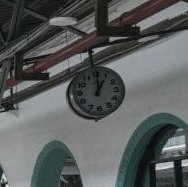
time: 1:00
